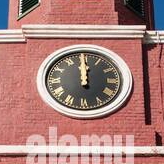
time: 11:59
